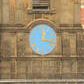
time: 12:16
